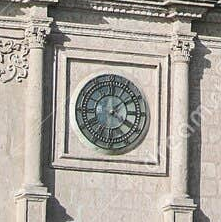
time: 12:07
